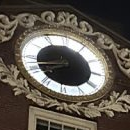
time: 7:42
